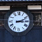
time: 3:11
